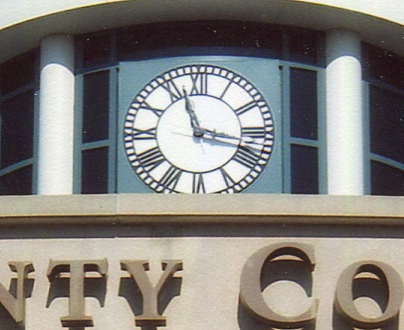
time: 11:17
